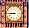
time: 8:45
